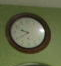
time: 9:39
